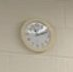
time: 11:11
